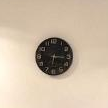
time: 6:15
